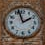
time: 1:57
